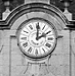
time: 2:00
